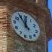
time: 11:53
